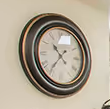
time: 10:36
